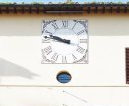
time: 9:47
